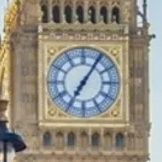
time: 7:05
